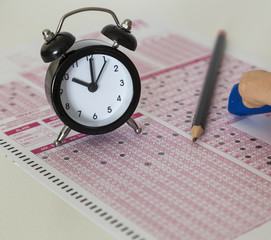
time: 10:00
